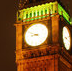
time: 8:49
